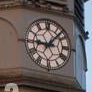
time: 9:07
